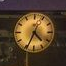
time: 4:34
